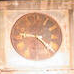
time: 9:22
